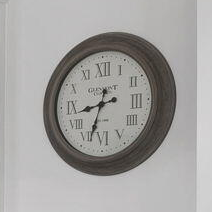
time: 8:33
